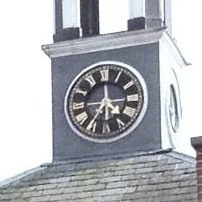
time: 4:36
